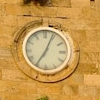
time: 7:04
